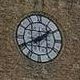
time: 1:40
